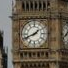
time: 1:41
